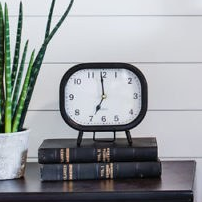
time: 6:59
